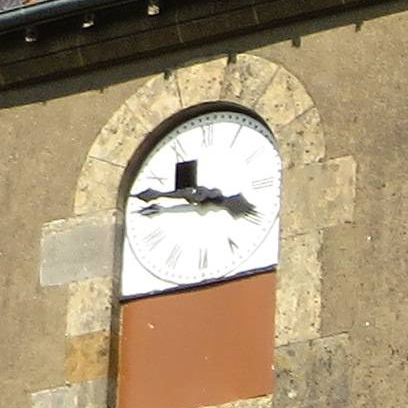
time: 3:46
